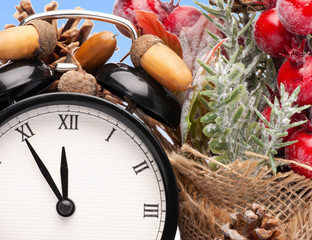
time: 11:54
